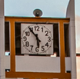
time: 5:54
